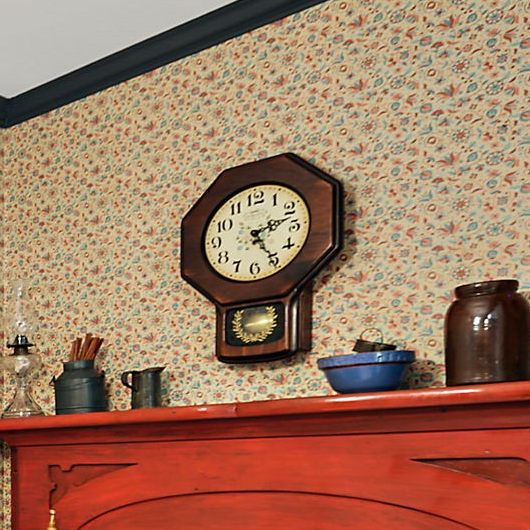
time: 2:24
